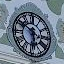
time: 5:50
